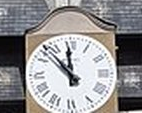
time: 11:53
